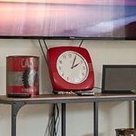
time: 2:04
